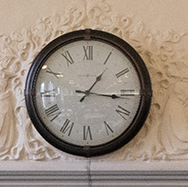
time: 1:16
